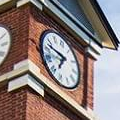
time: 6:47
